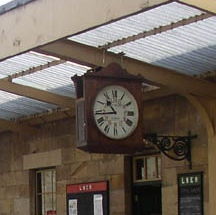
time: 10:43
